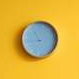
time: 10:43
